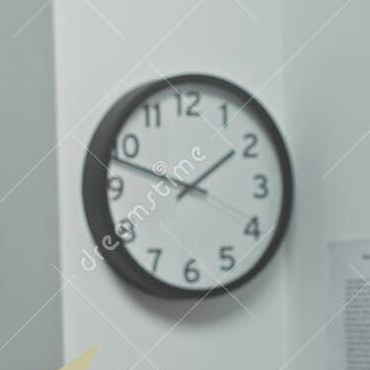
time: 1:47
